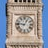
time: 12:46
